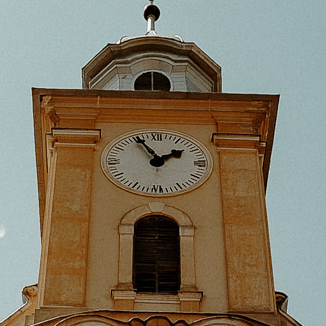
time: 1:55
